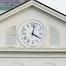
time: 4:02
